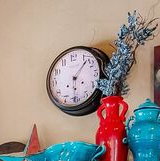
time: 6:07
